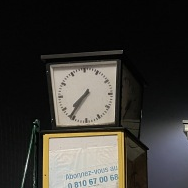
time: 7:36
